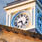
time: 8:27
